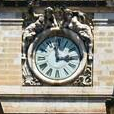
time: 2:58
